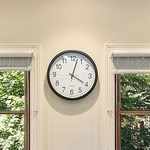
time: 4:02
